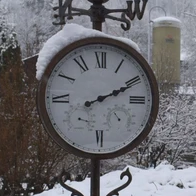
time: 2:10
